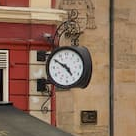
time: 4:50
